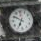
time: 6:50
